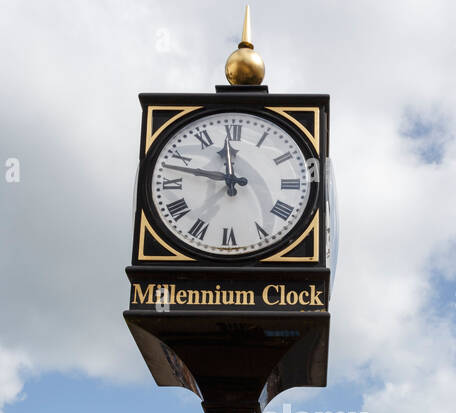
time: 11:47
